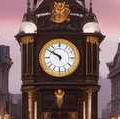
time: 9:50
